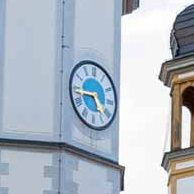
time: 4:43
